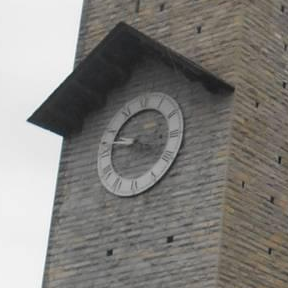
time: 3:46
